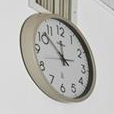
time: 11:52
